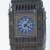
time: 4:07
